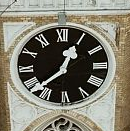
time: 12:38
